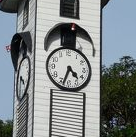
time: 4:33
